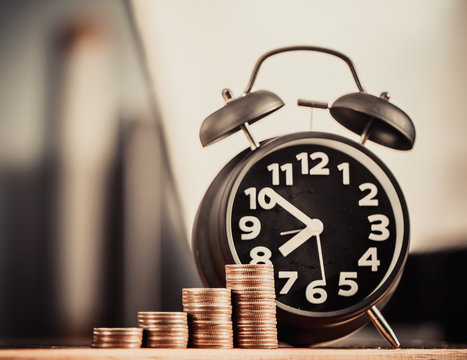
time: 7:52
